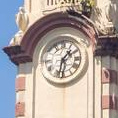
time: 1:32
